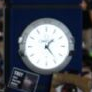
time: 1:23
